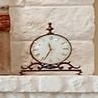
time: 11:33
